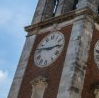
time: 2:46
